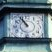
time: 10:55
